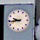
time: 9:43
